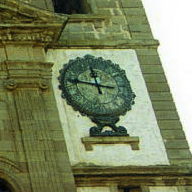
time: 11:46
